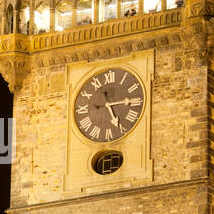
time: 5:14
